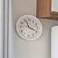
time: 11:18
